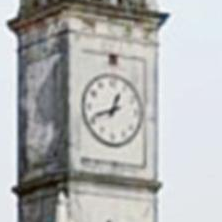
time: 12:41
